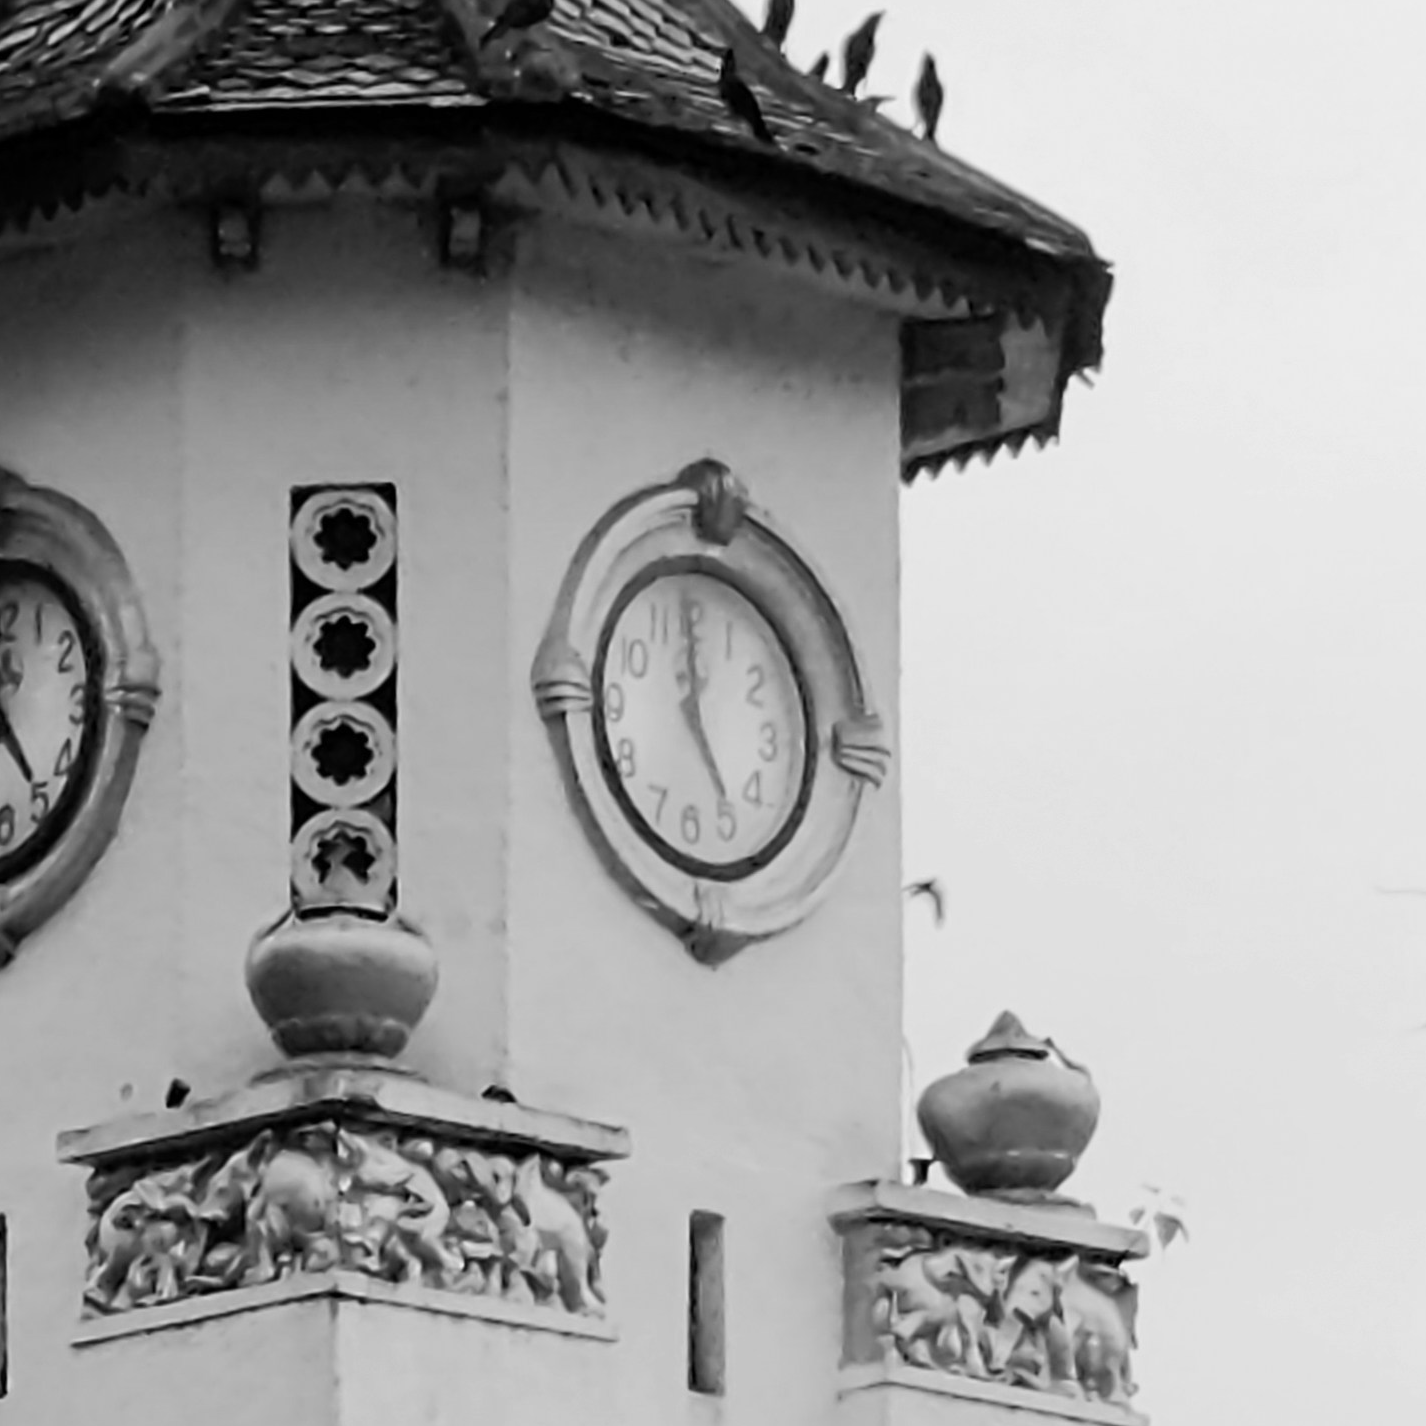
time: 4:59
